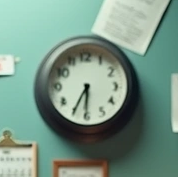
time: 6:35
